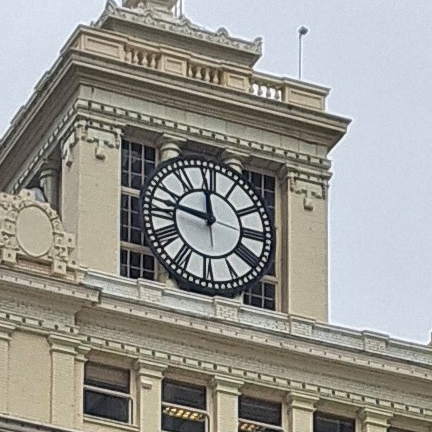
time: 11:46
